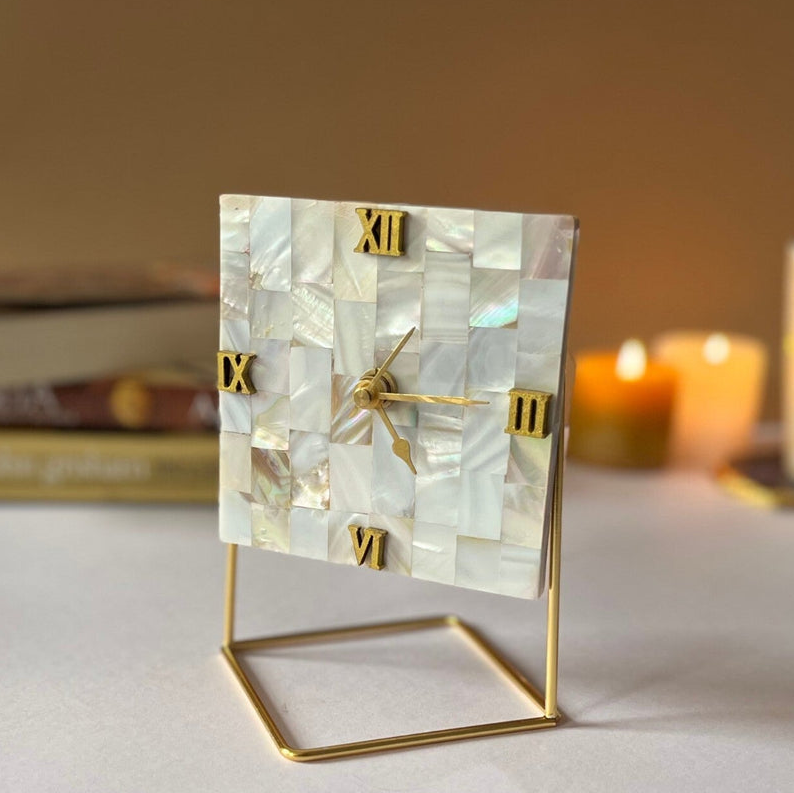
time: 1:14
